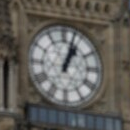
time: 1:02
